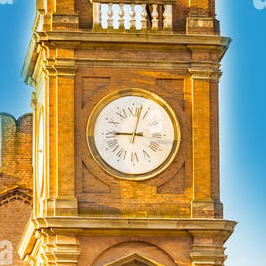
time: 9:02
